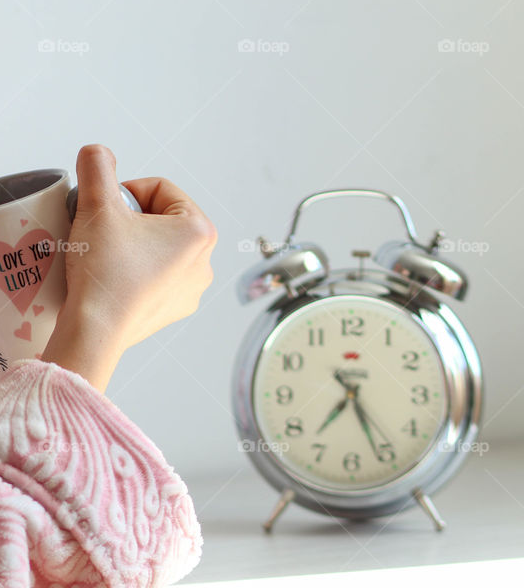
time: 7:26
